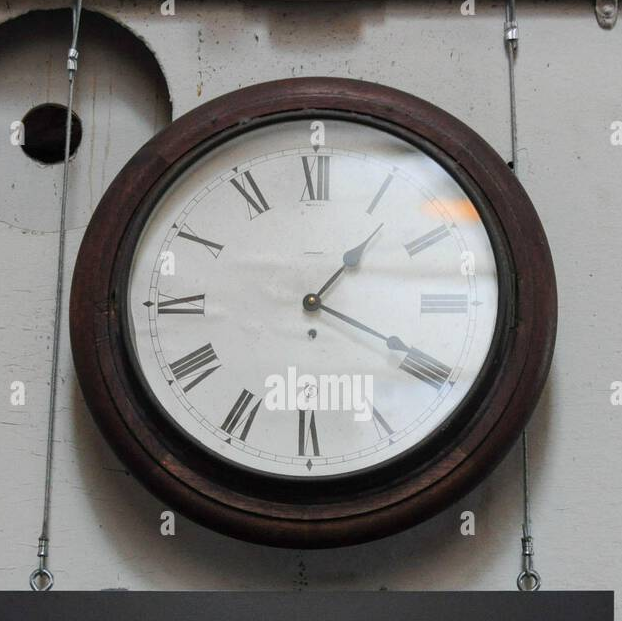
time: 1:19
